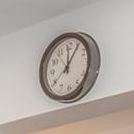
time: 12:05
